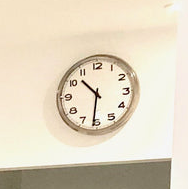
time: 10:31
